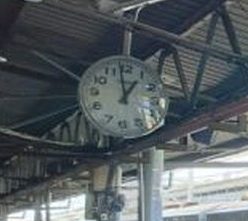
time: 12:58
